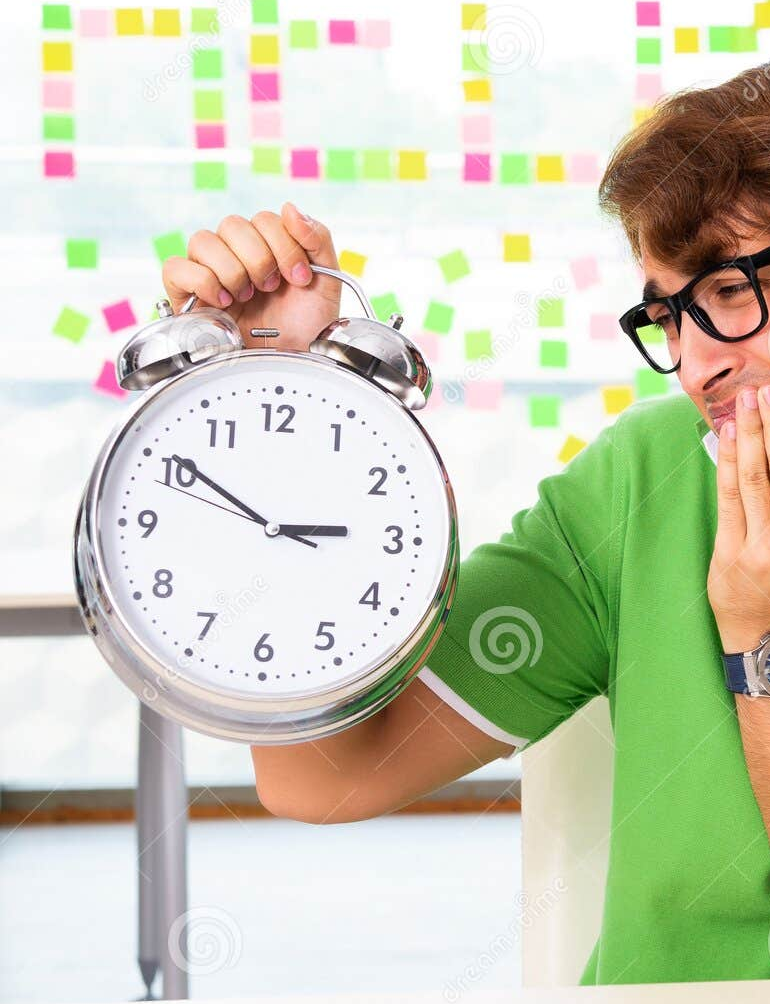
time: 2:50
